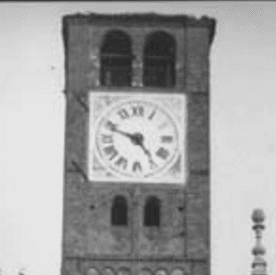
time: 4:48
